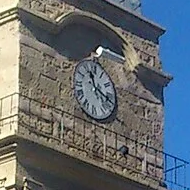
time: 11:18
